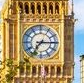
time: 7:15
